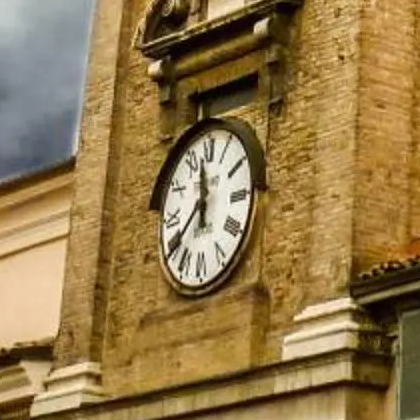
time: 11:38
